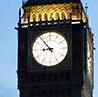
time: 8:53
